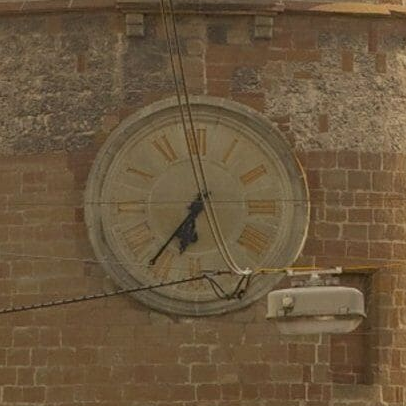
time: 6:36
